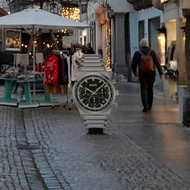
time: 10:07
